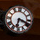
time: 3:32
